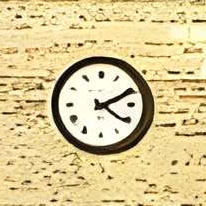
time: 4:10
